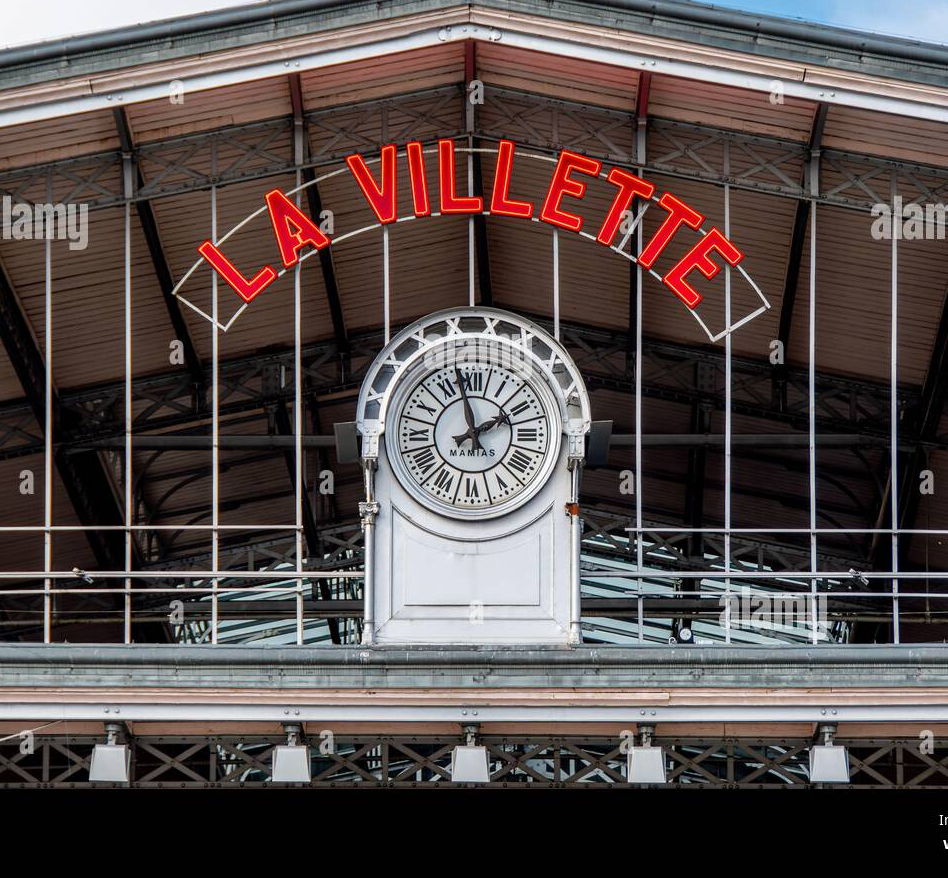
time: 1:56
